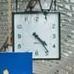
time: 4:23
